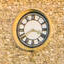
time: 3:40
